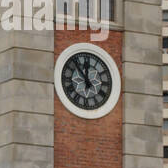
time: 11:53
